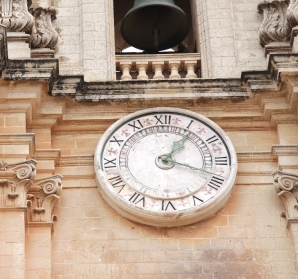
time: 1:18
